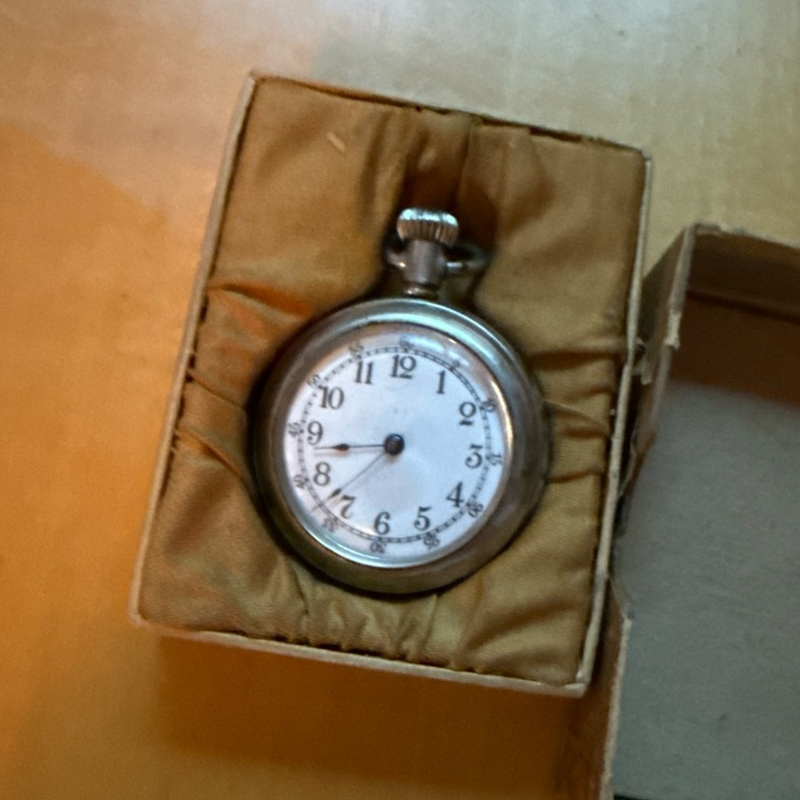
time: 8:36
